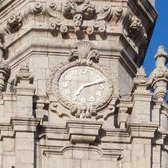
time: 7:12
